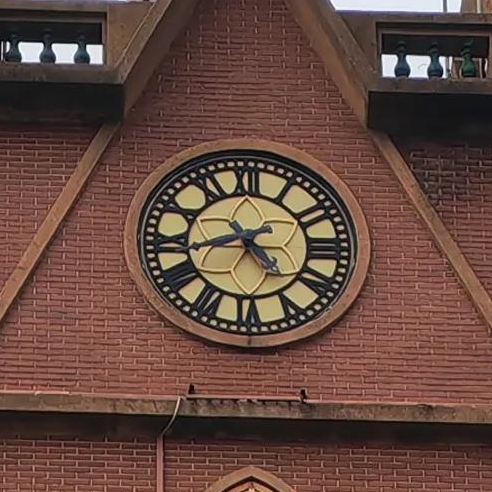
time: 4:42
